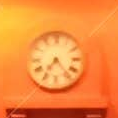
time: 7:23
